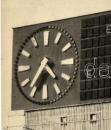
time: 4:35
